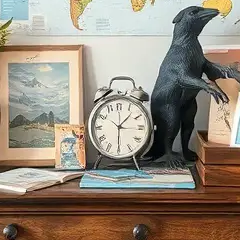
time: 1:30
